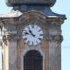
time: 10:47
